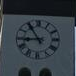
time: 8:54
